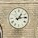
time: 1:13
